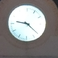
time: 9:21
